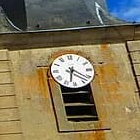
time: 6:21
